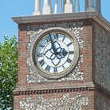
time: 2:57
